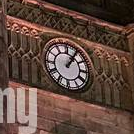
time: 1:05
